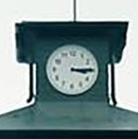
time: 3:14
